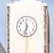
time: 11:32
